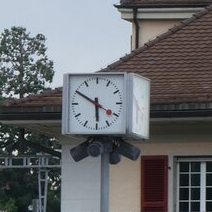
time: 5:50
